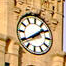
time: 1:39
